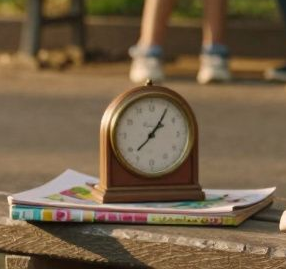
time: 1:05
